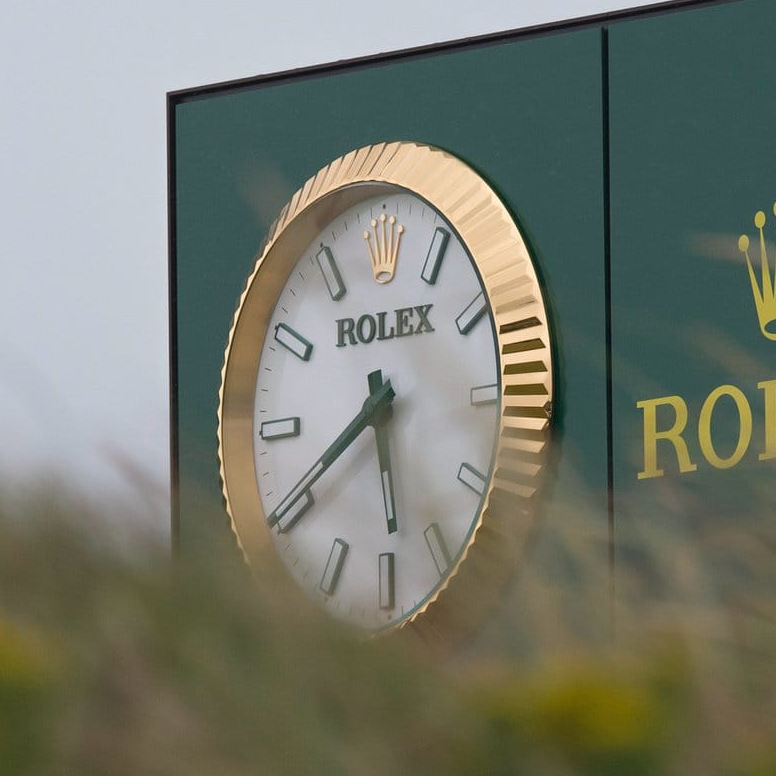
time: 5:40
